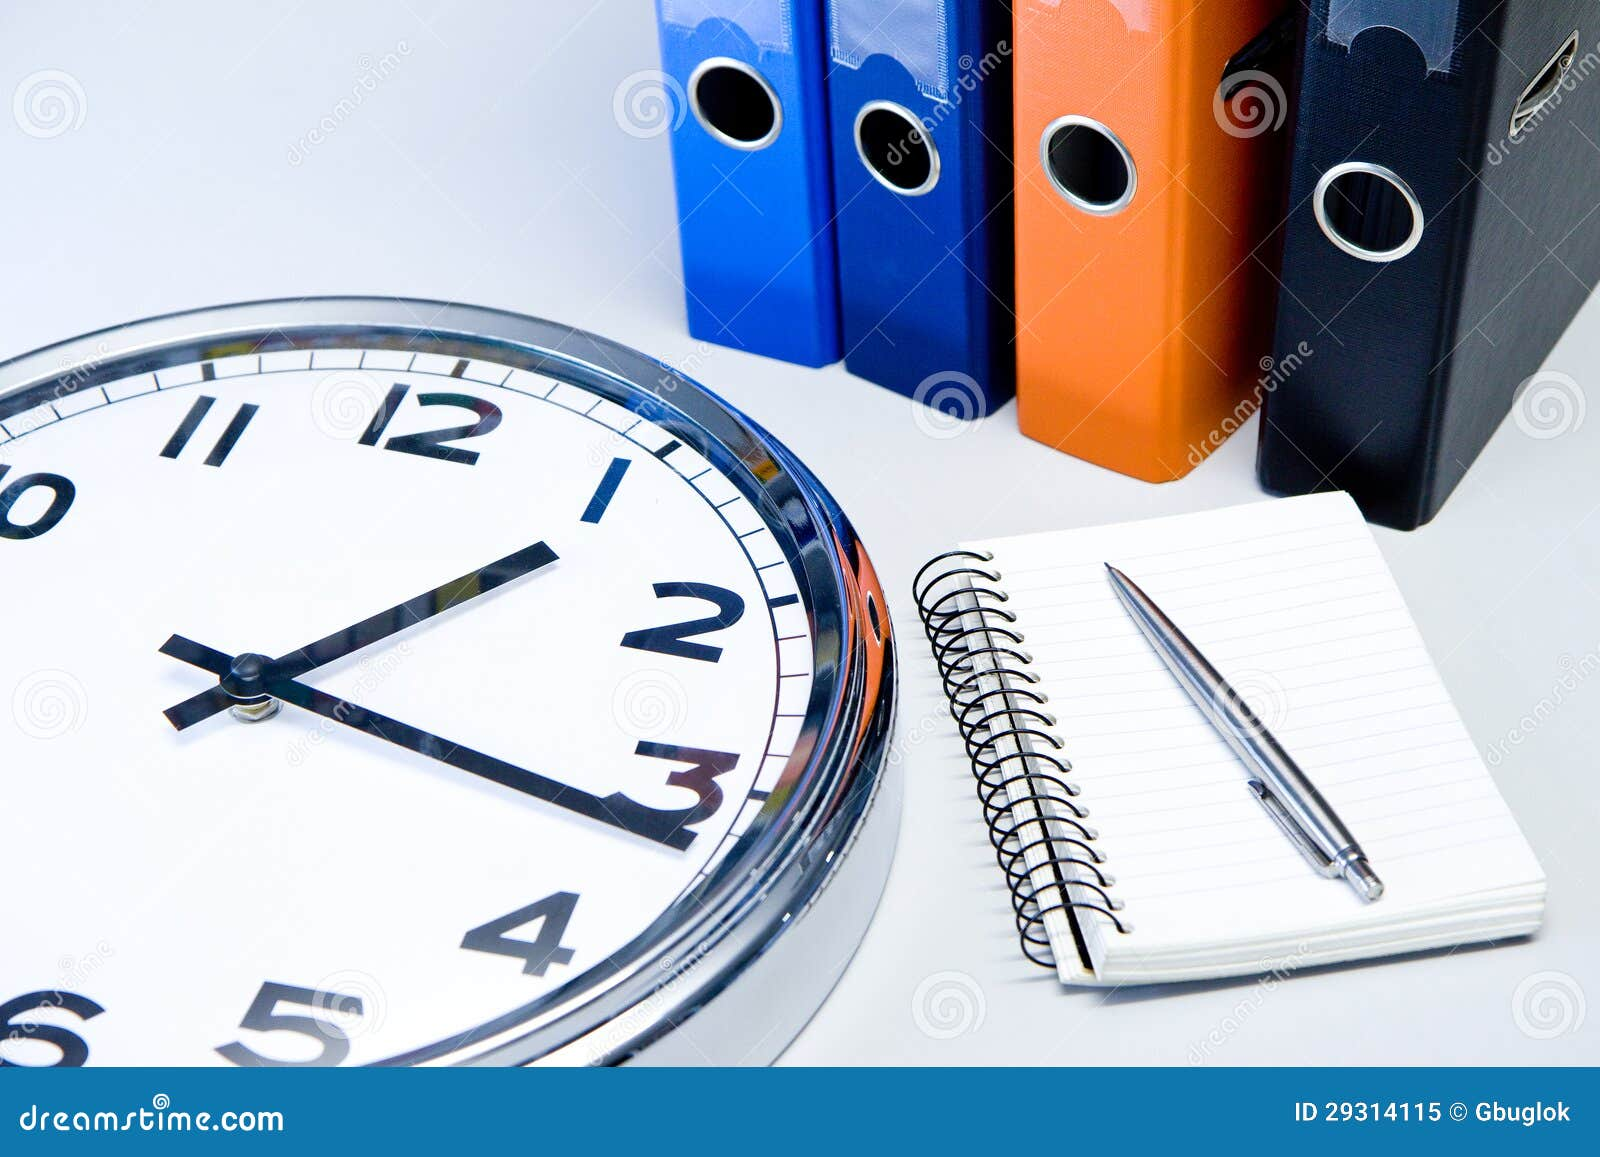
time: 1:16
